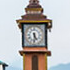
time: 5:31
